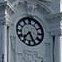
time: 7:25
